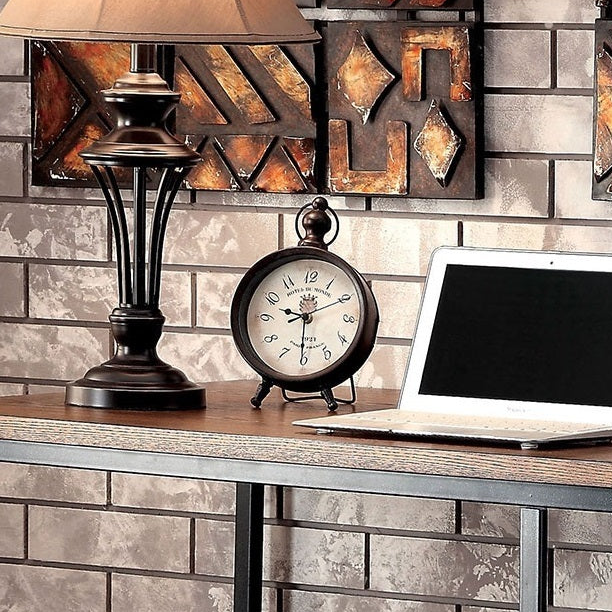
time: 9:30
